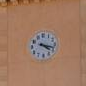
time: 4:17
